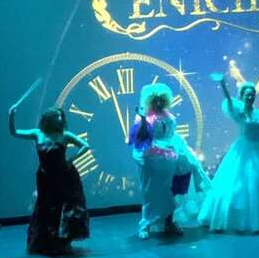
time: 12:57
